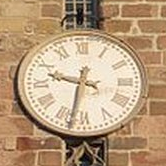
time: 9:32
